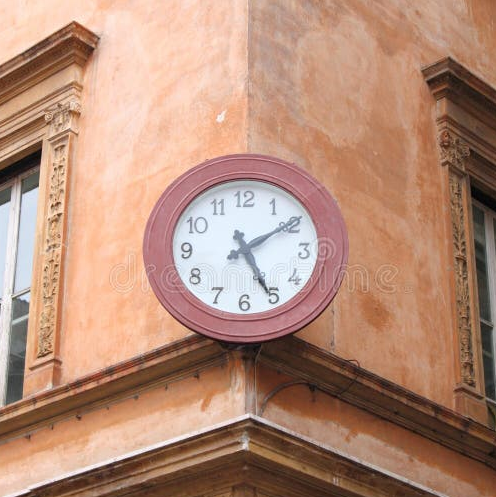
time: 5:09
